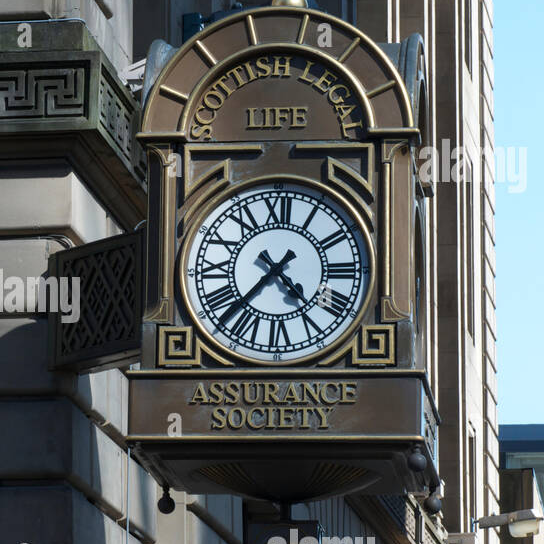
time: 4:37
